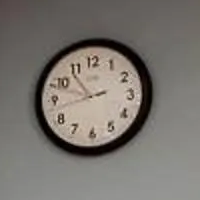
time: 10:42
